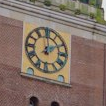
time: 1:59
